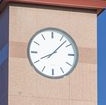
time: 8:07
